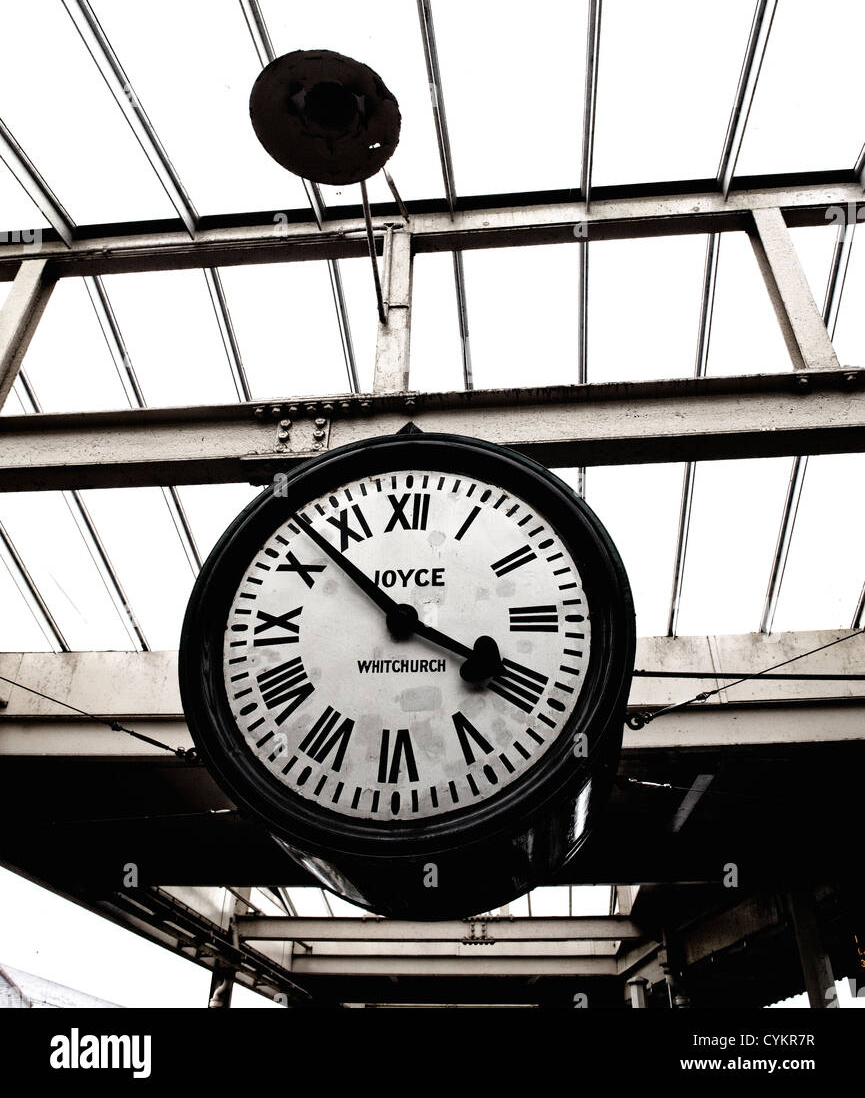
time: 3:52
